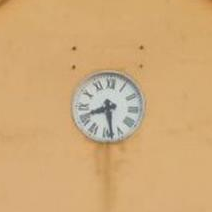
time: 8:28
